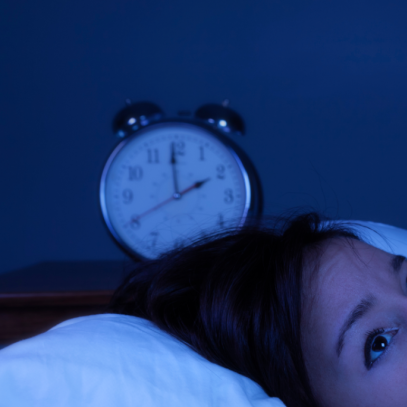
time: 1:59
